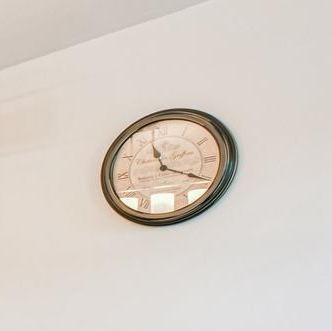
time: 11:19
